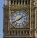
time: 1:40
